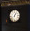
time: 6:06
